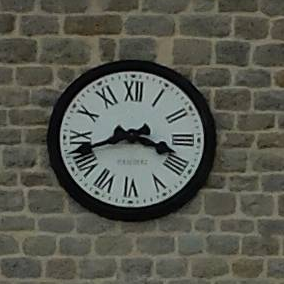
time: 3:41
